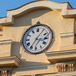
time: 3:35
